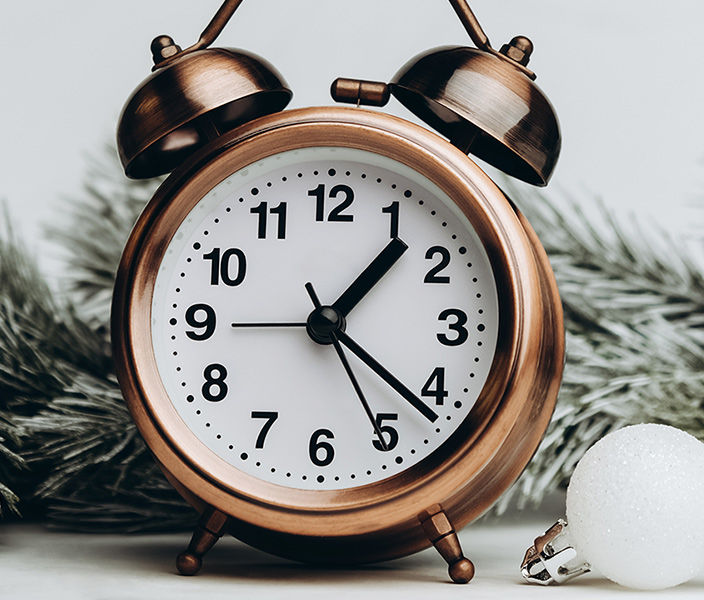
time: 1:21
